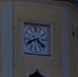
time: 8:21
